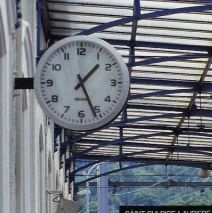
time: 1:26
